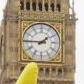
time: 1:45
